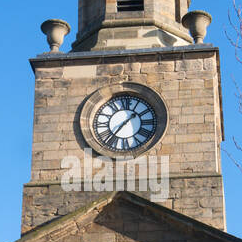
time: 1:36
